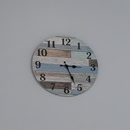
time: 5:15
